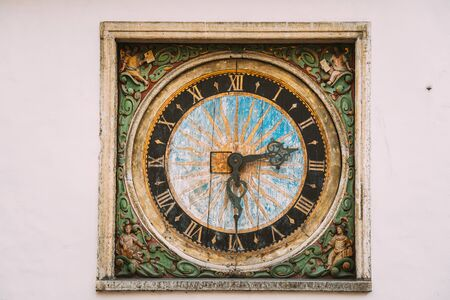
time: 2:29
